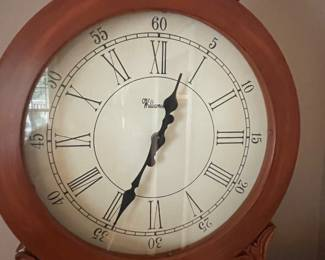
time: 12:34
